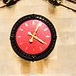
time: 4:04
